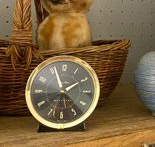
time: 1:56
